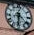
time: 8:31
